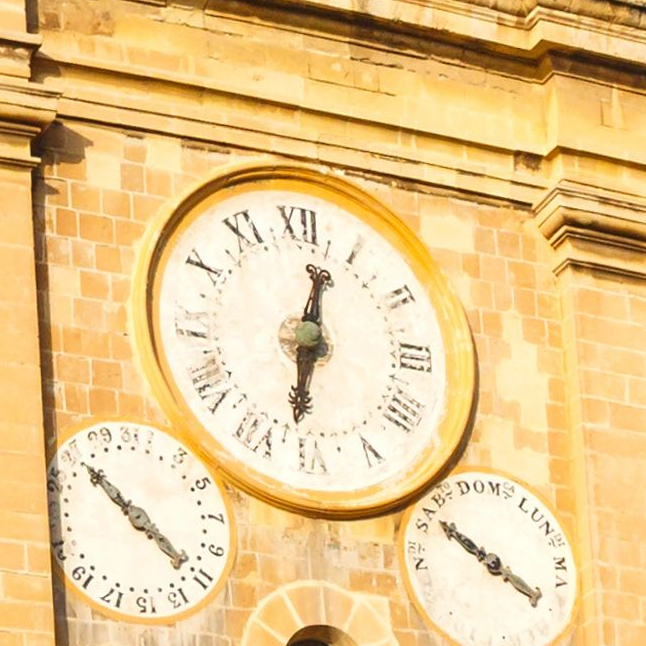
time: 12:31
